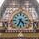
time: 4:34
